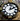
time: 2:02
